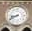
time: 8:40
